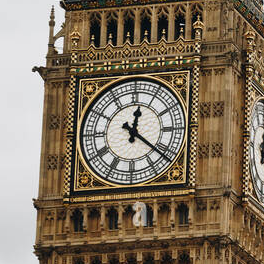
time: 12:21
